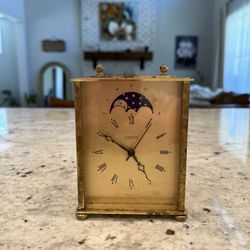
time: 4:49
